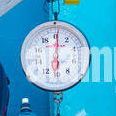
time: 6:00
